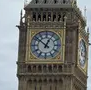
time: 12:52
